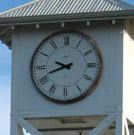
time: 9:41
